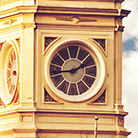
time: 1:42
